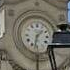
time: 1:32
